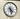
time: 4:28
